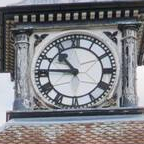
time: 10:45
